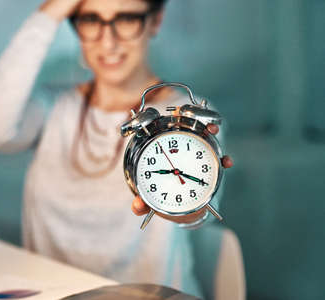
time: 9:19
